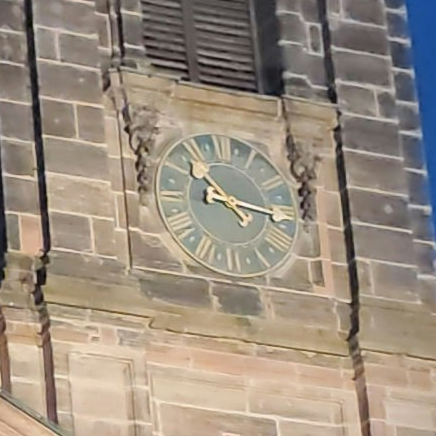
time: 10:15
